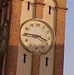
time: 3:45
